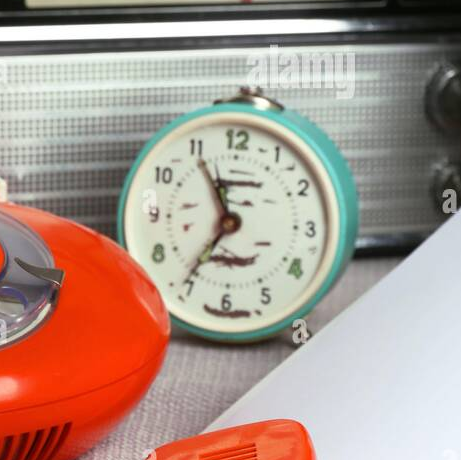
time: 11:35
